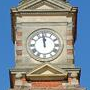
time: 11:58
